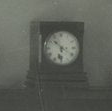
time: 10:32
